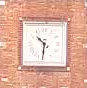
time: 10:31
